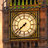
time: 7:37
